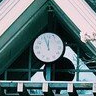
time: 11:56
